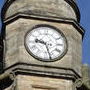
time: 9:27
